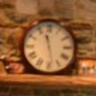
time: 11:28
